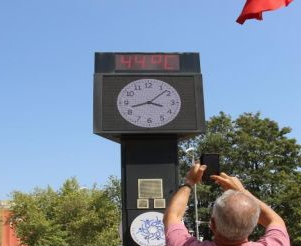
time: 3:42
